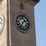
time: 1:35
